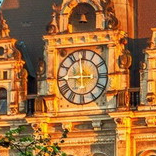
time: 8:58
